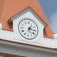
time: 1:16
